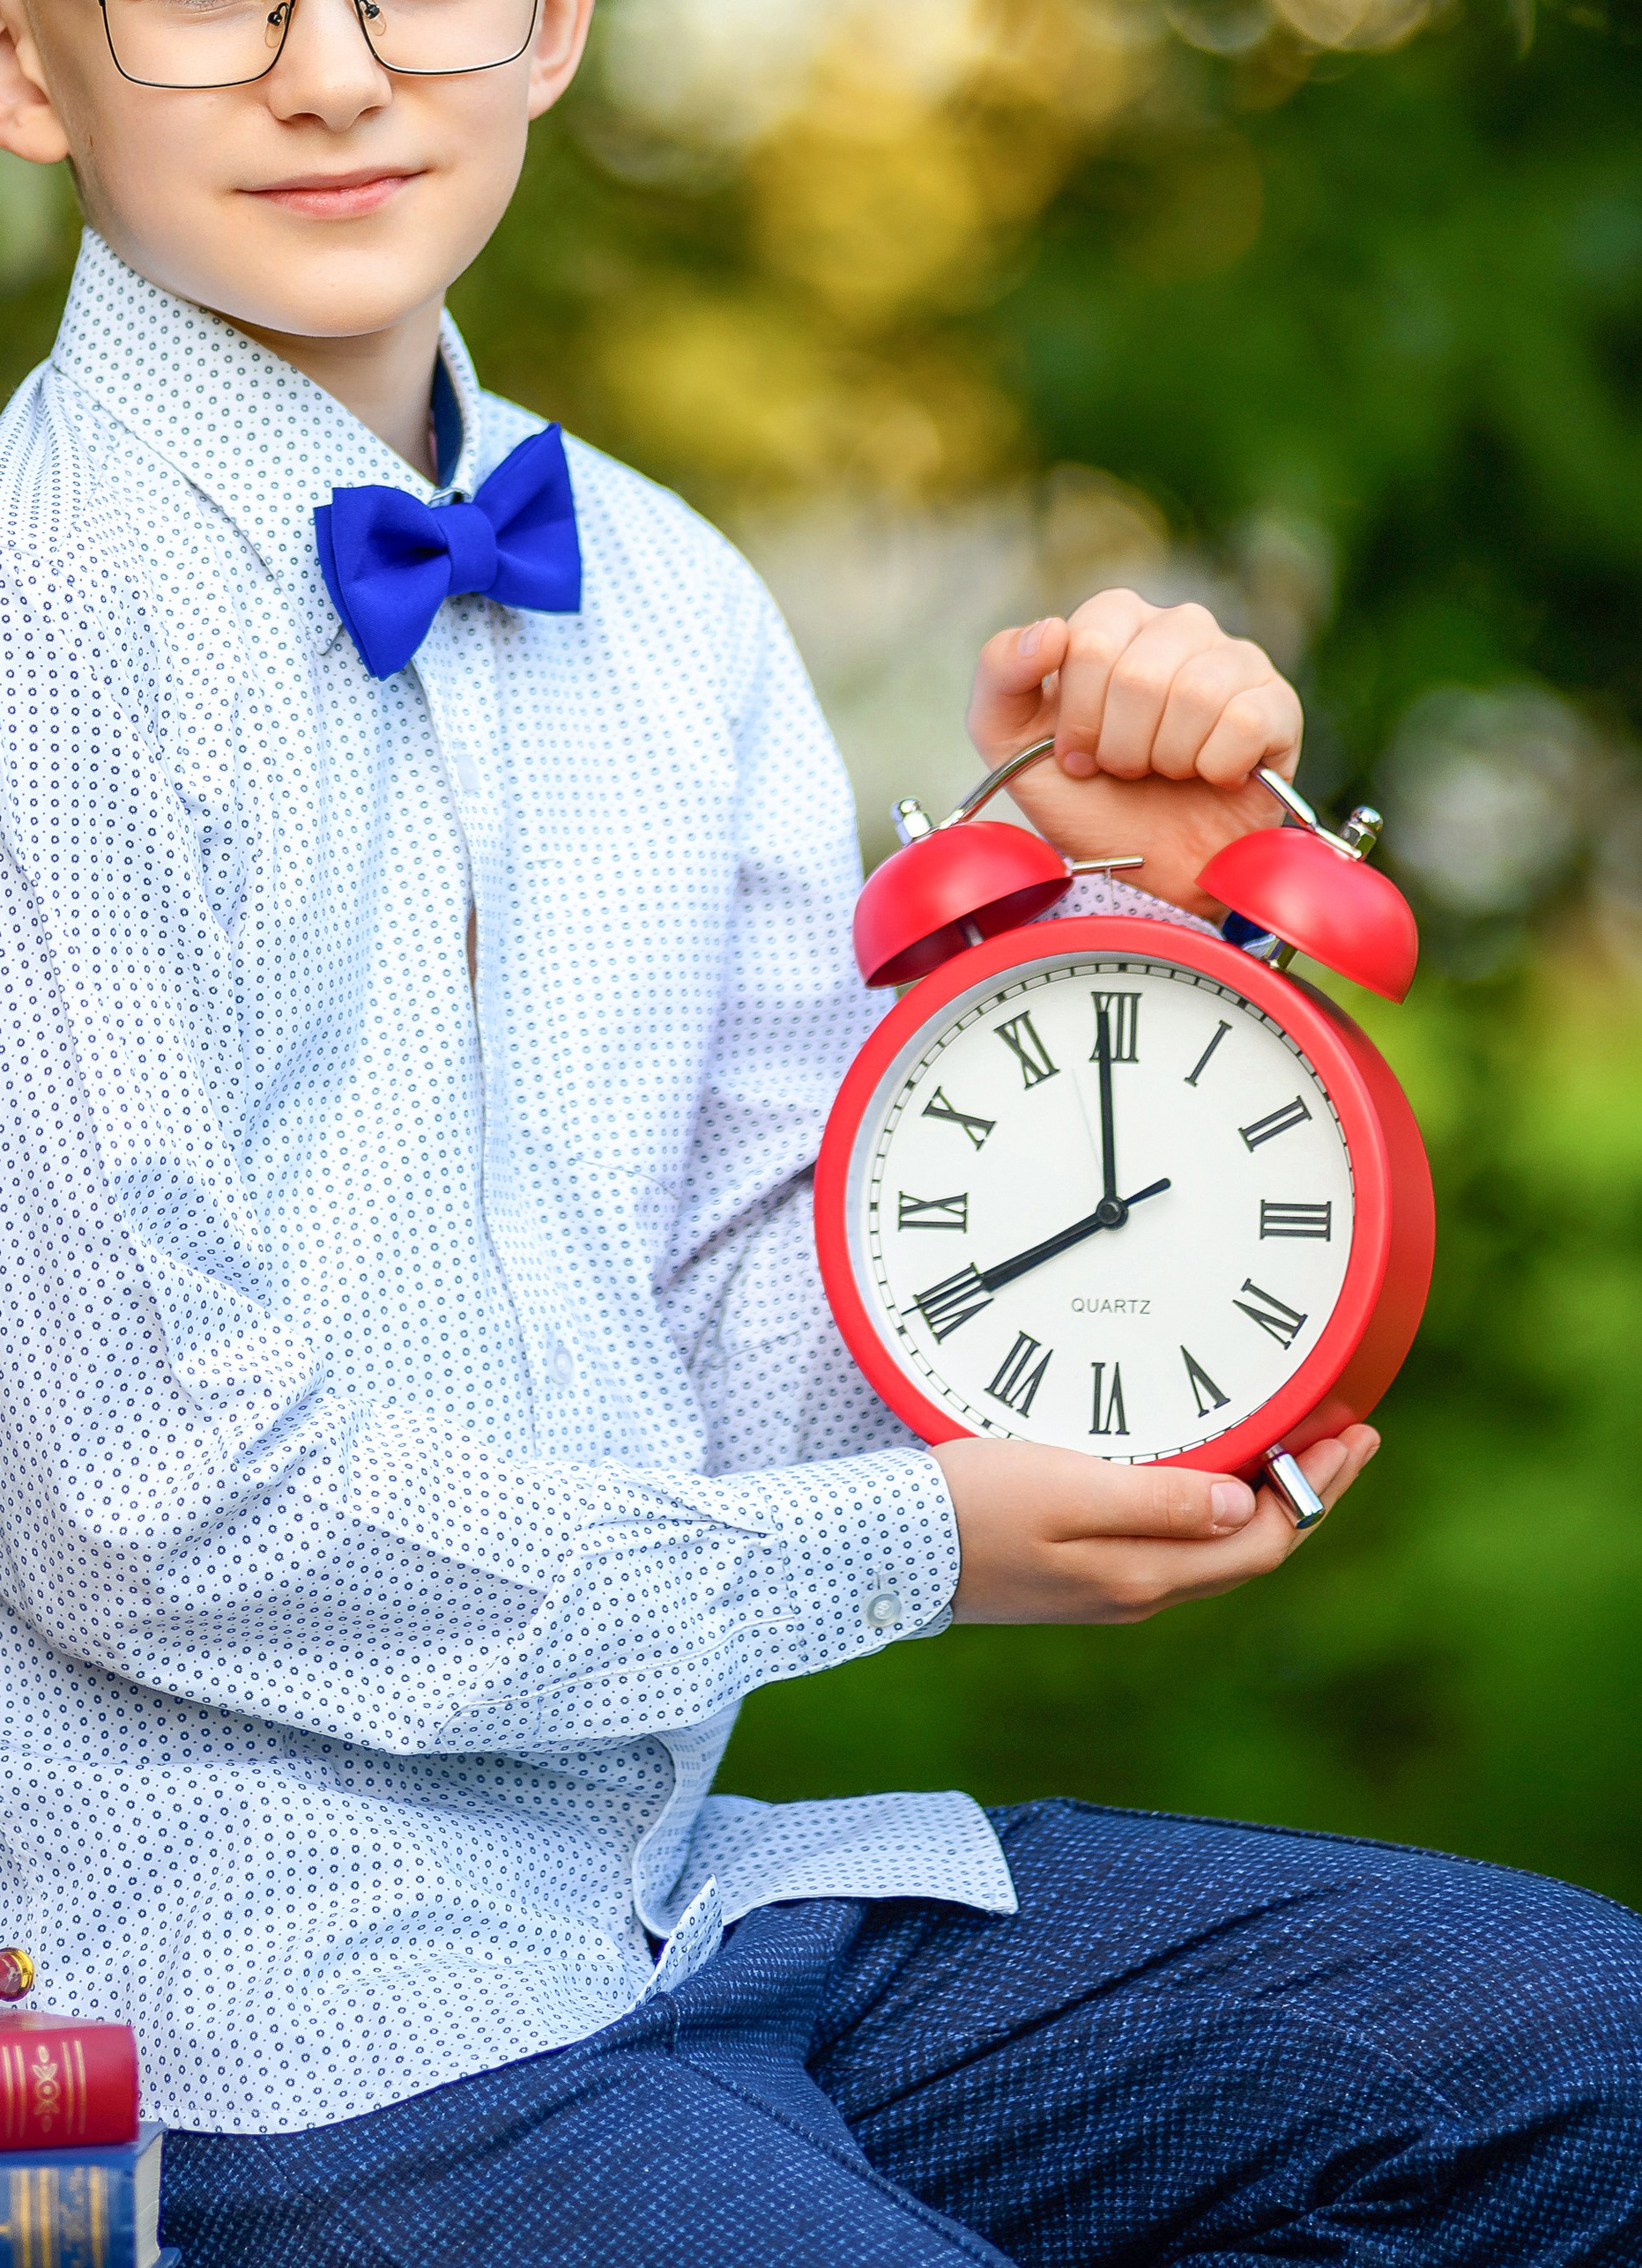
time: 7:59
